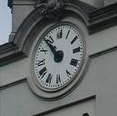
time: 10:53
